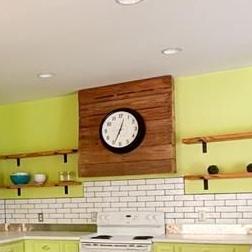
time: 12:34
